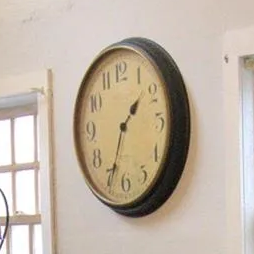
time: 1:34
